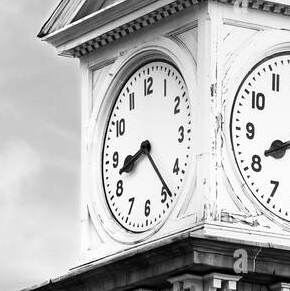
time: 8:23
